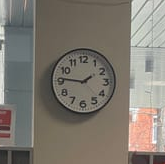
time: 1:46
